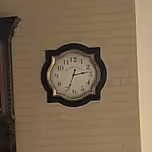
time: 2:33
